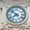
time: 7:52
